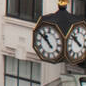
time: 10:51
